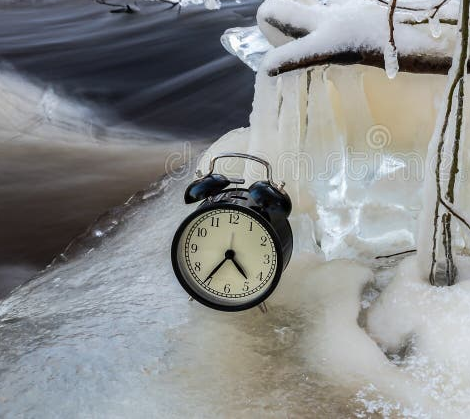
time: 4:36
